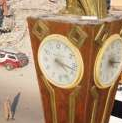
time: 4:17
